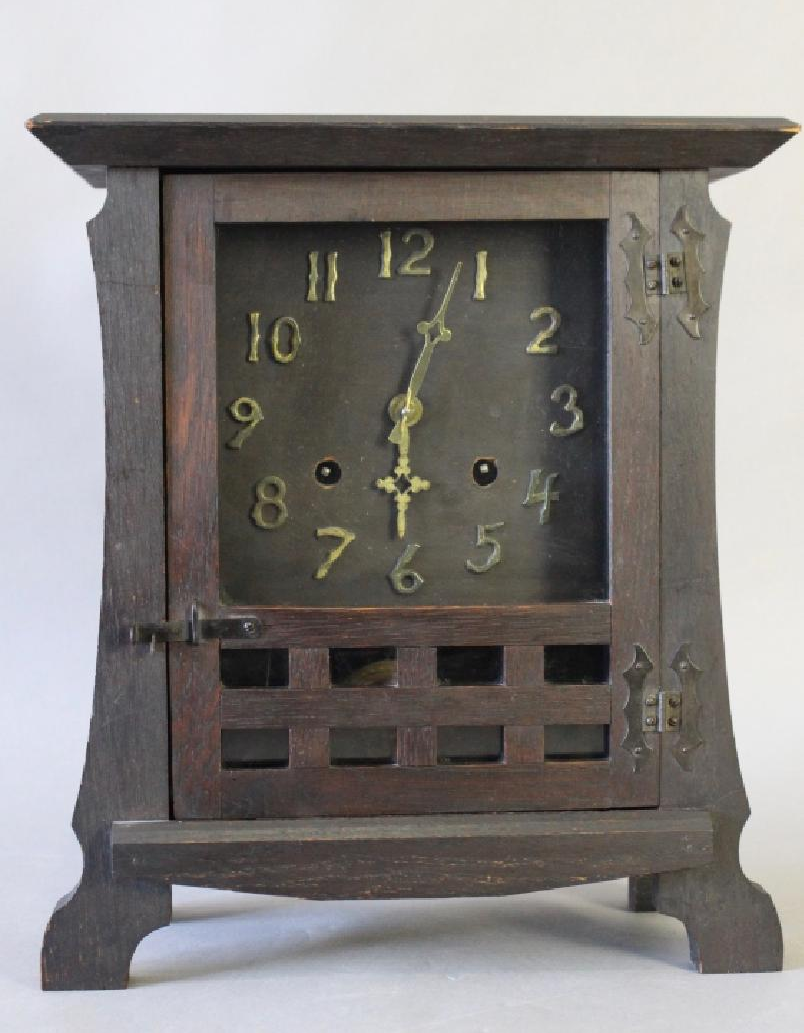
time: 6:03
